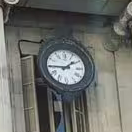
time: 1:45
